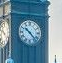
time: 10:22
